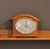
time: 4:01
